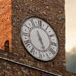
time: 5:26
